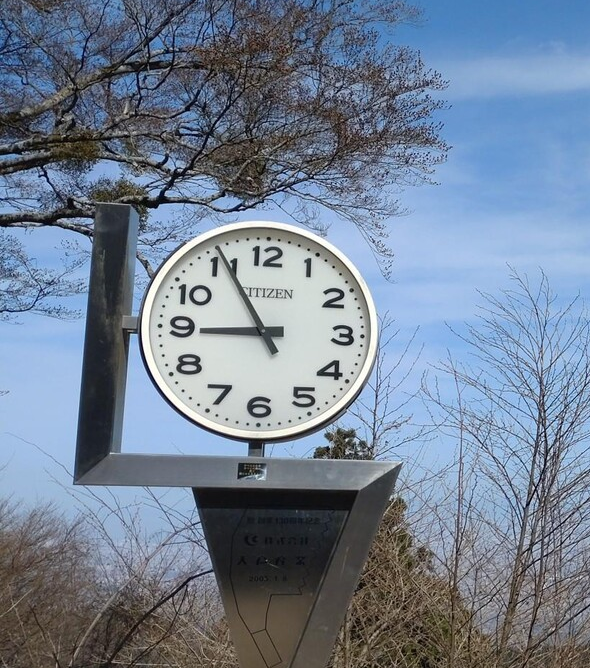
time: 8:55
